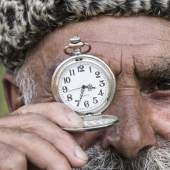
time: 3:34
